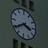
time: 3:39
